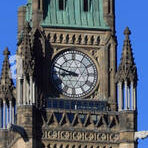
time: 8:47
